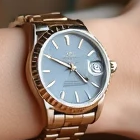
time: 4:49
